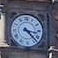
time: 3:22
